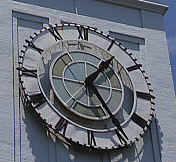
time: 1:23
